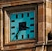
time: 3:36
